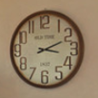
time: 3:11
